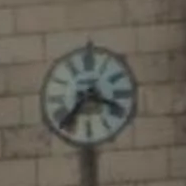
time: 7:18
